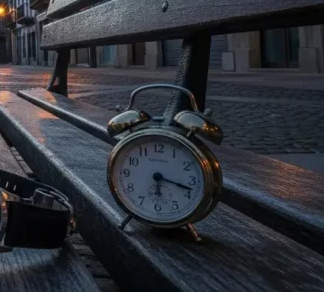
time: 6:18
